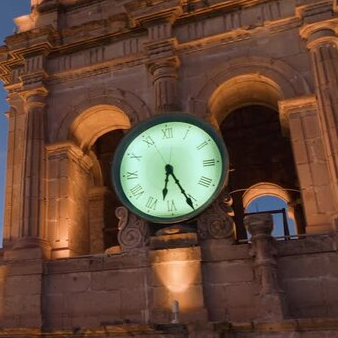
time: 6:25
